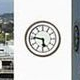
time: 5:46
